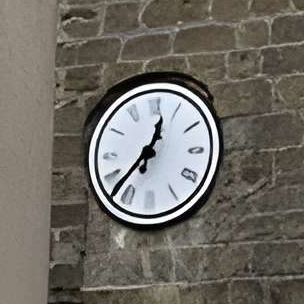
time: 12:37
